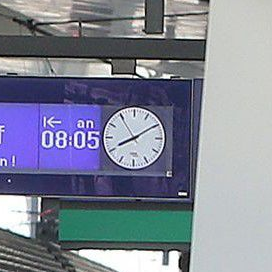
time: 8:09
